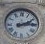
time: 2:14
